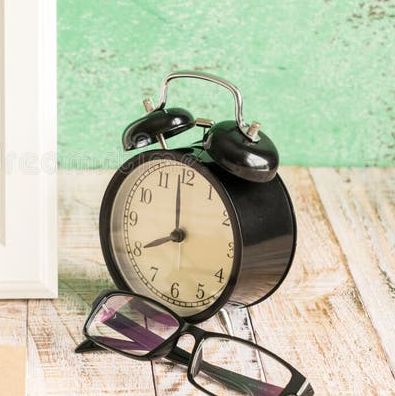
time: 7:59
